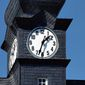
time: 1:33
